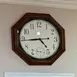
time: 4:44
